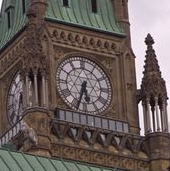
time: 5:33
